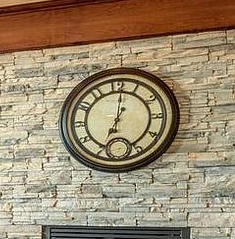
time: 7:01
